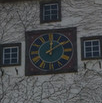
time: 12:09
